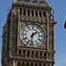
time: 1:32
